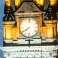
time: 7:39
